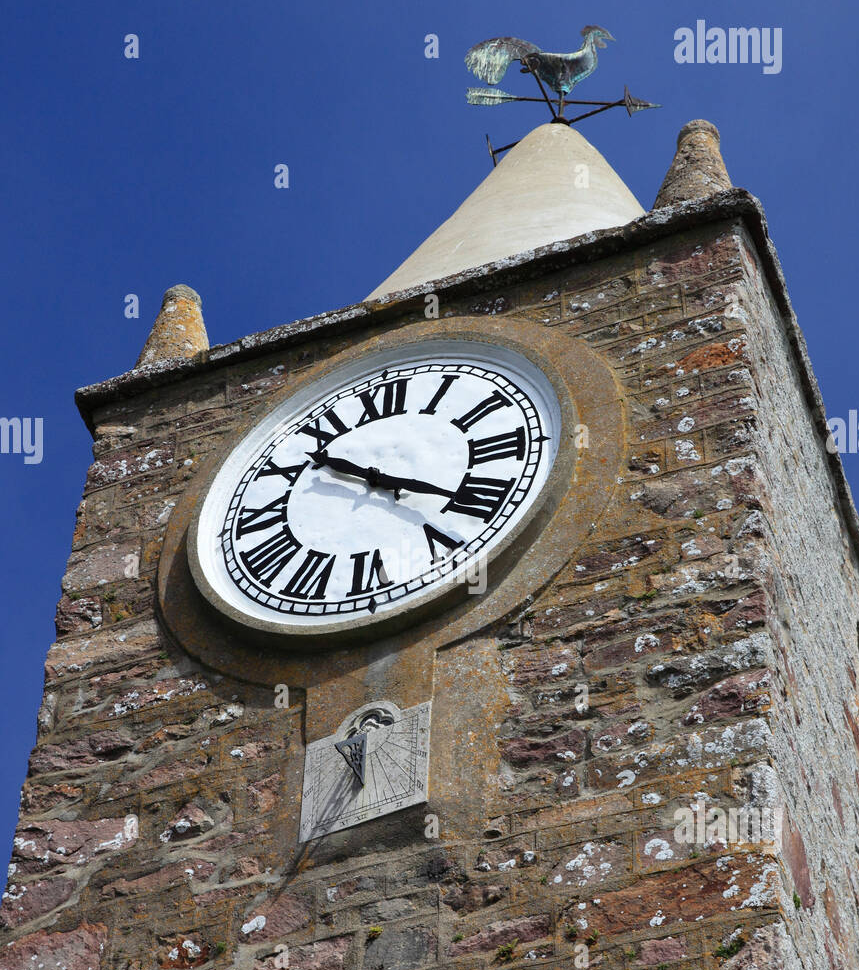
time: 10:20
